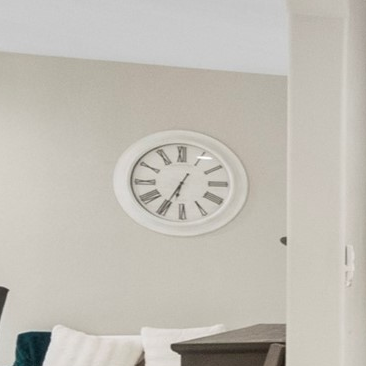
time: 6:34
